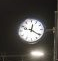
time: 12:20
